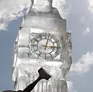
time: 3:02
